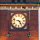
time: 4:47
